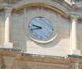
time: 9:42
